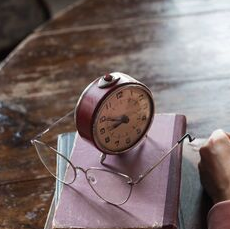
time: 8:49
